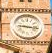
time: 9:16
